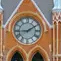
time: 9:09
